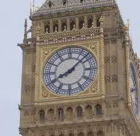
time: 8:07
